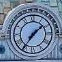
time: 1:36
